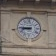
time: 8:45
